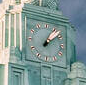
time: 1:08
